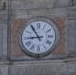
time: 8:54
